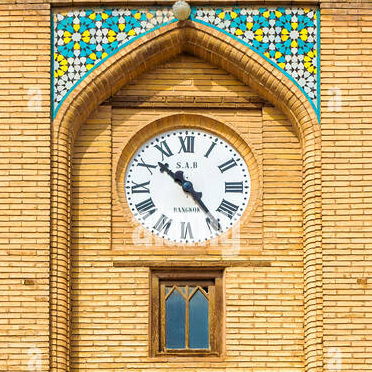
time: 10:23
